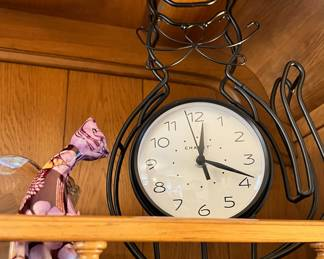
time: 12:18
